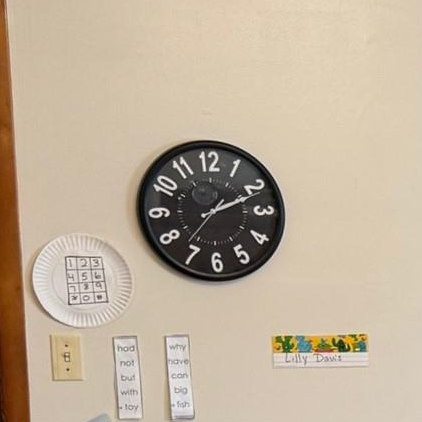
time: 1:11
